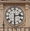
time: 2:30
